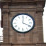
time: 4:00
